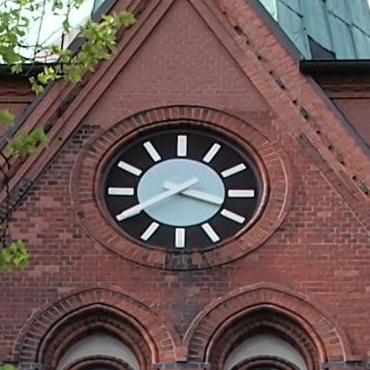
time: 3:39
